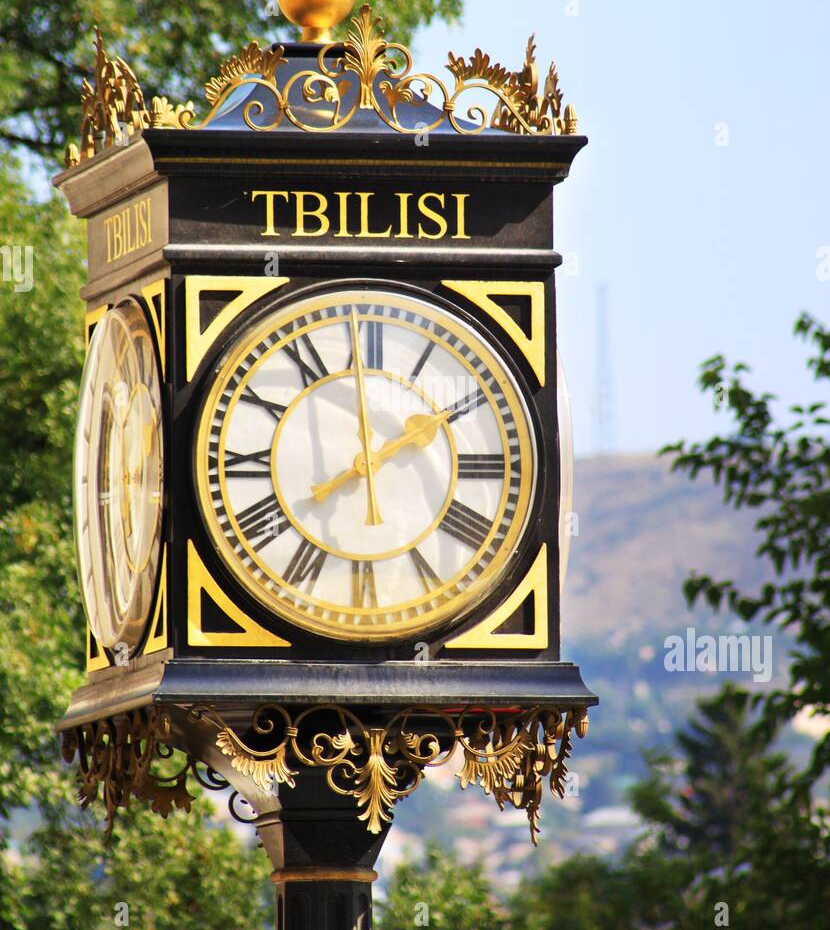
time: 1:59
